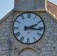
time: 2:16
